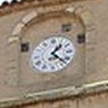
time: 1:22
